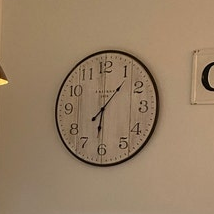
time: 6:06
